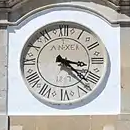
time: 3:22
